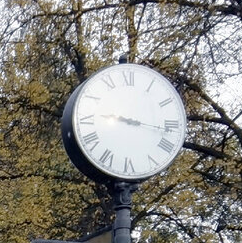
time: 3:16
